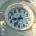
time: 8:34
